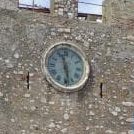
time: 11:28
